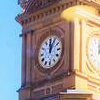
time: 12:04
